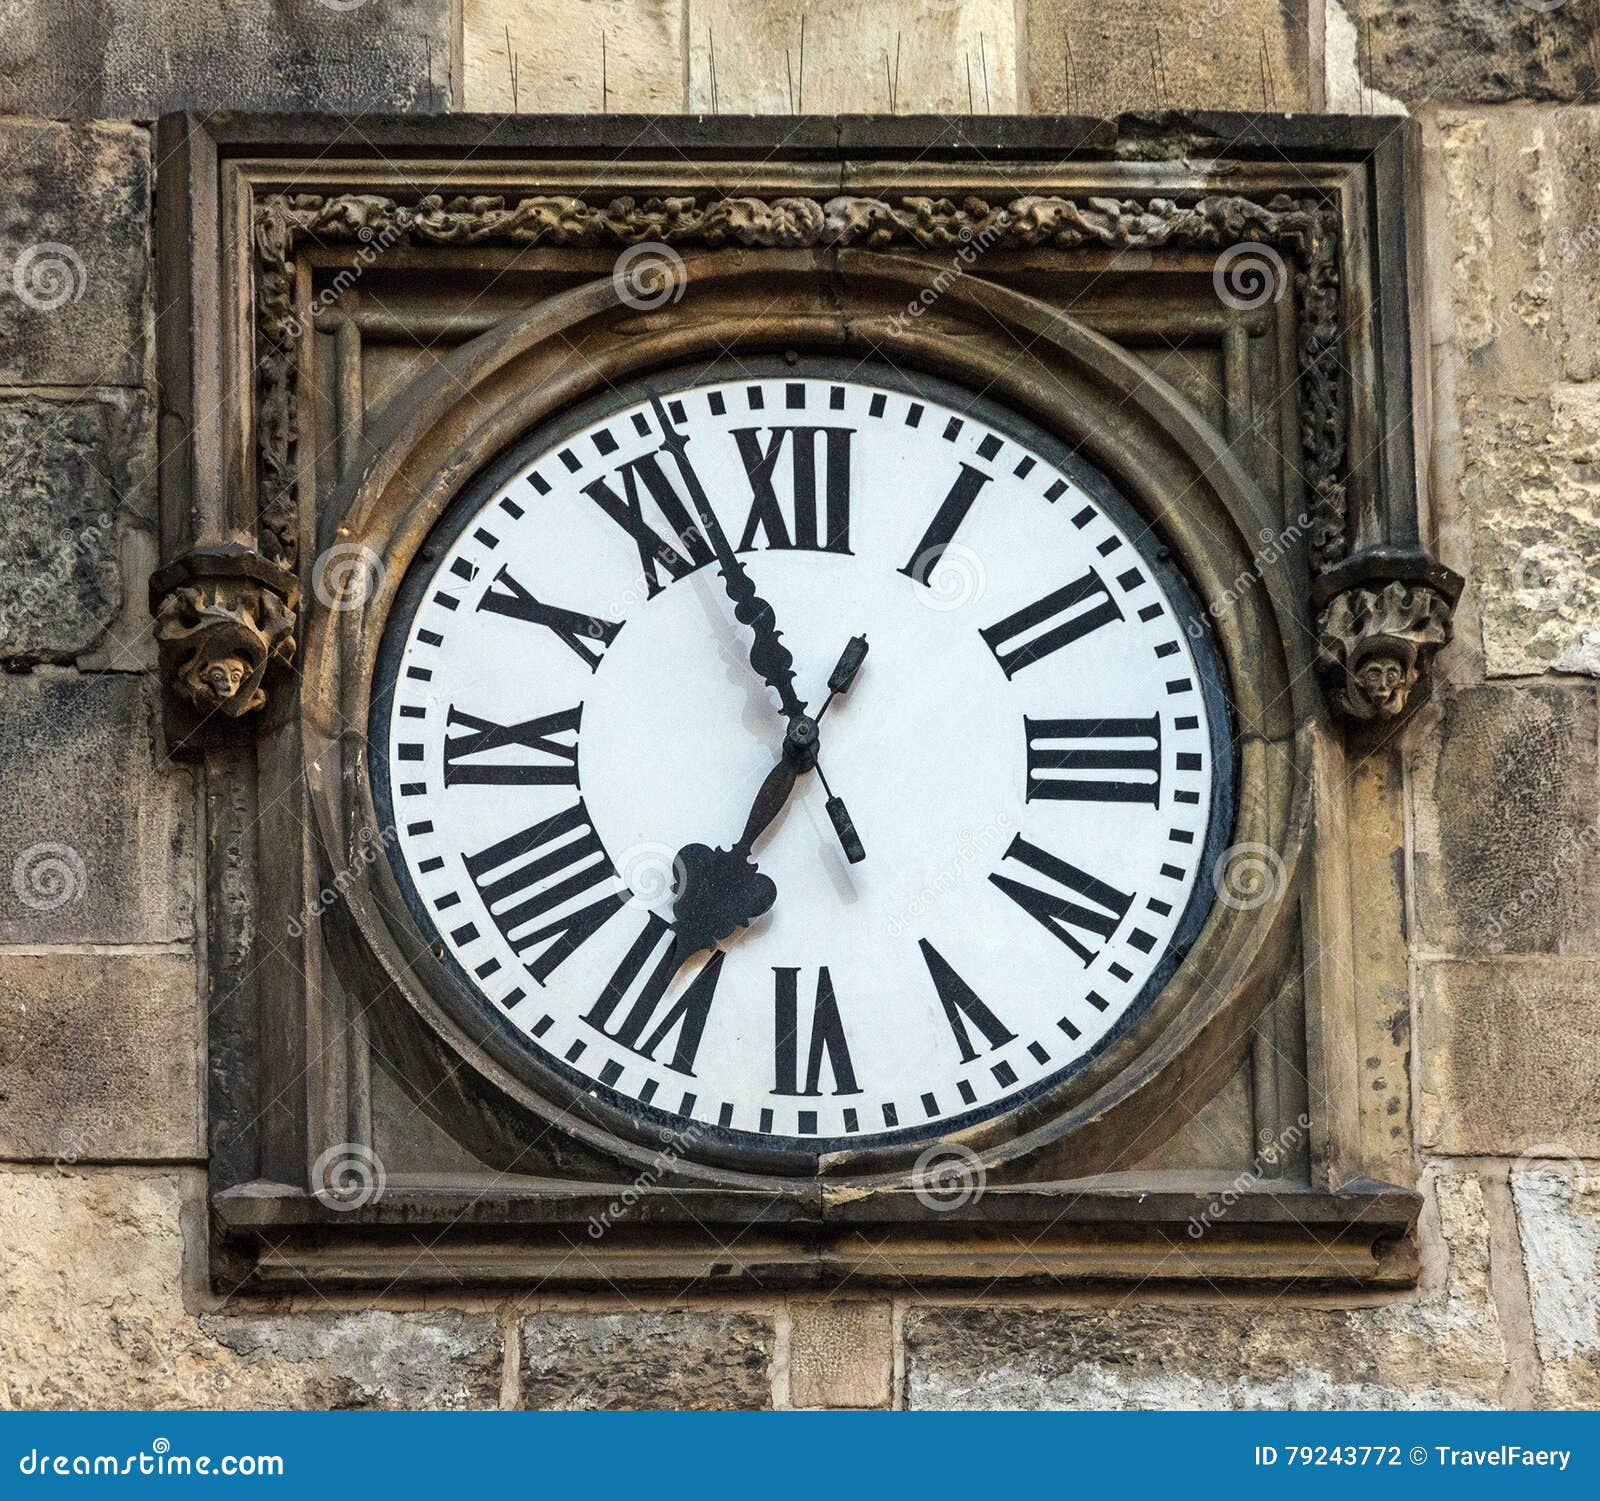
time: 6:56
